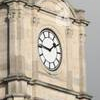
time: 1:46
